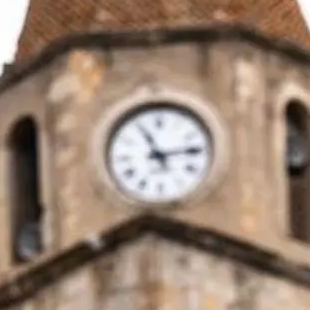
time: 11:13
